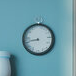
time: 8:42
